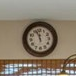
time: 11:56
